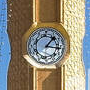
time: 1:16
